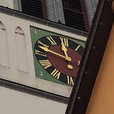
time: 11:48
